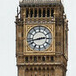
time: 2:42
